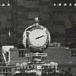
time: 2:12
